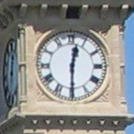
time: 12:30
